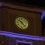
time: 10:23
